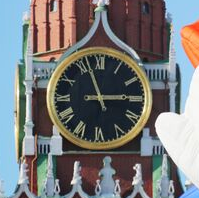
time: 2:56
